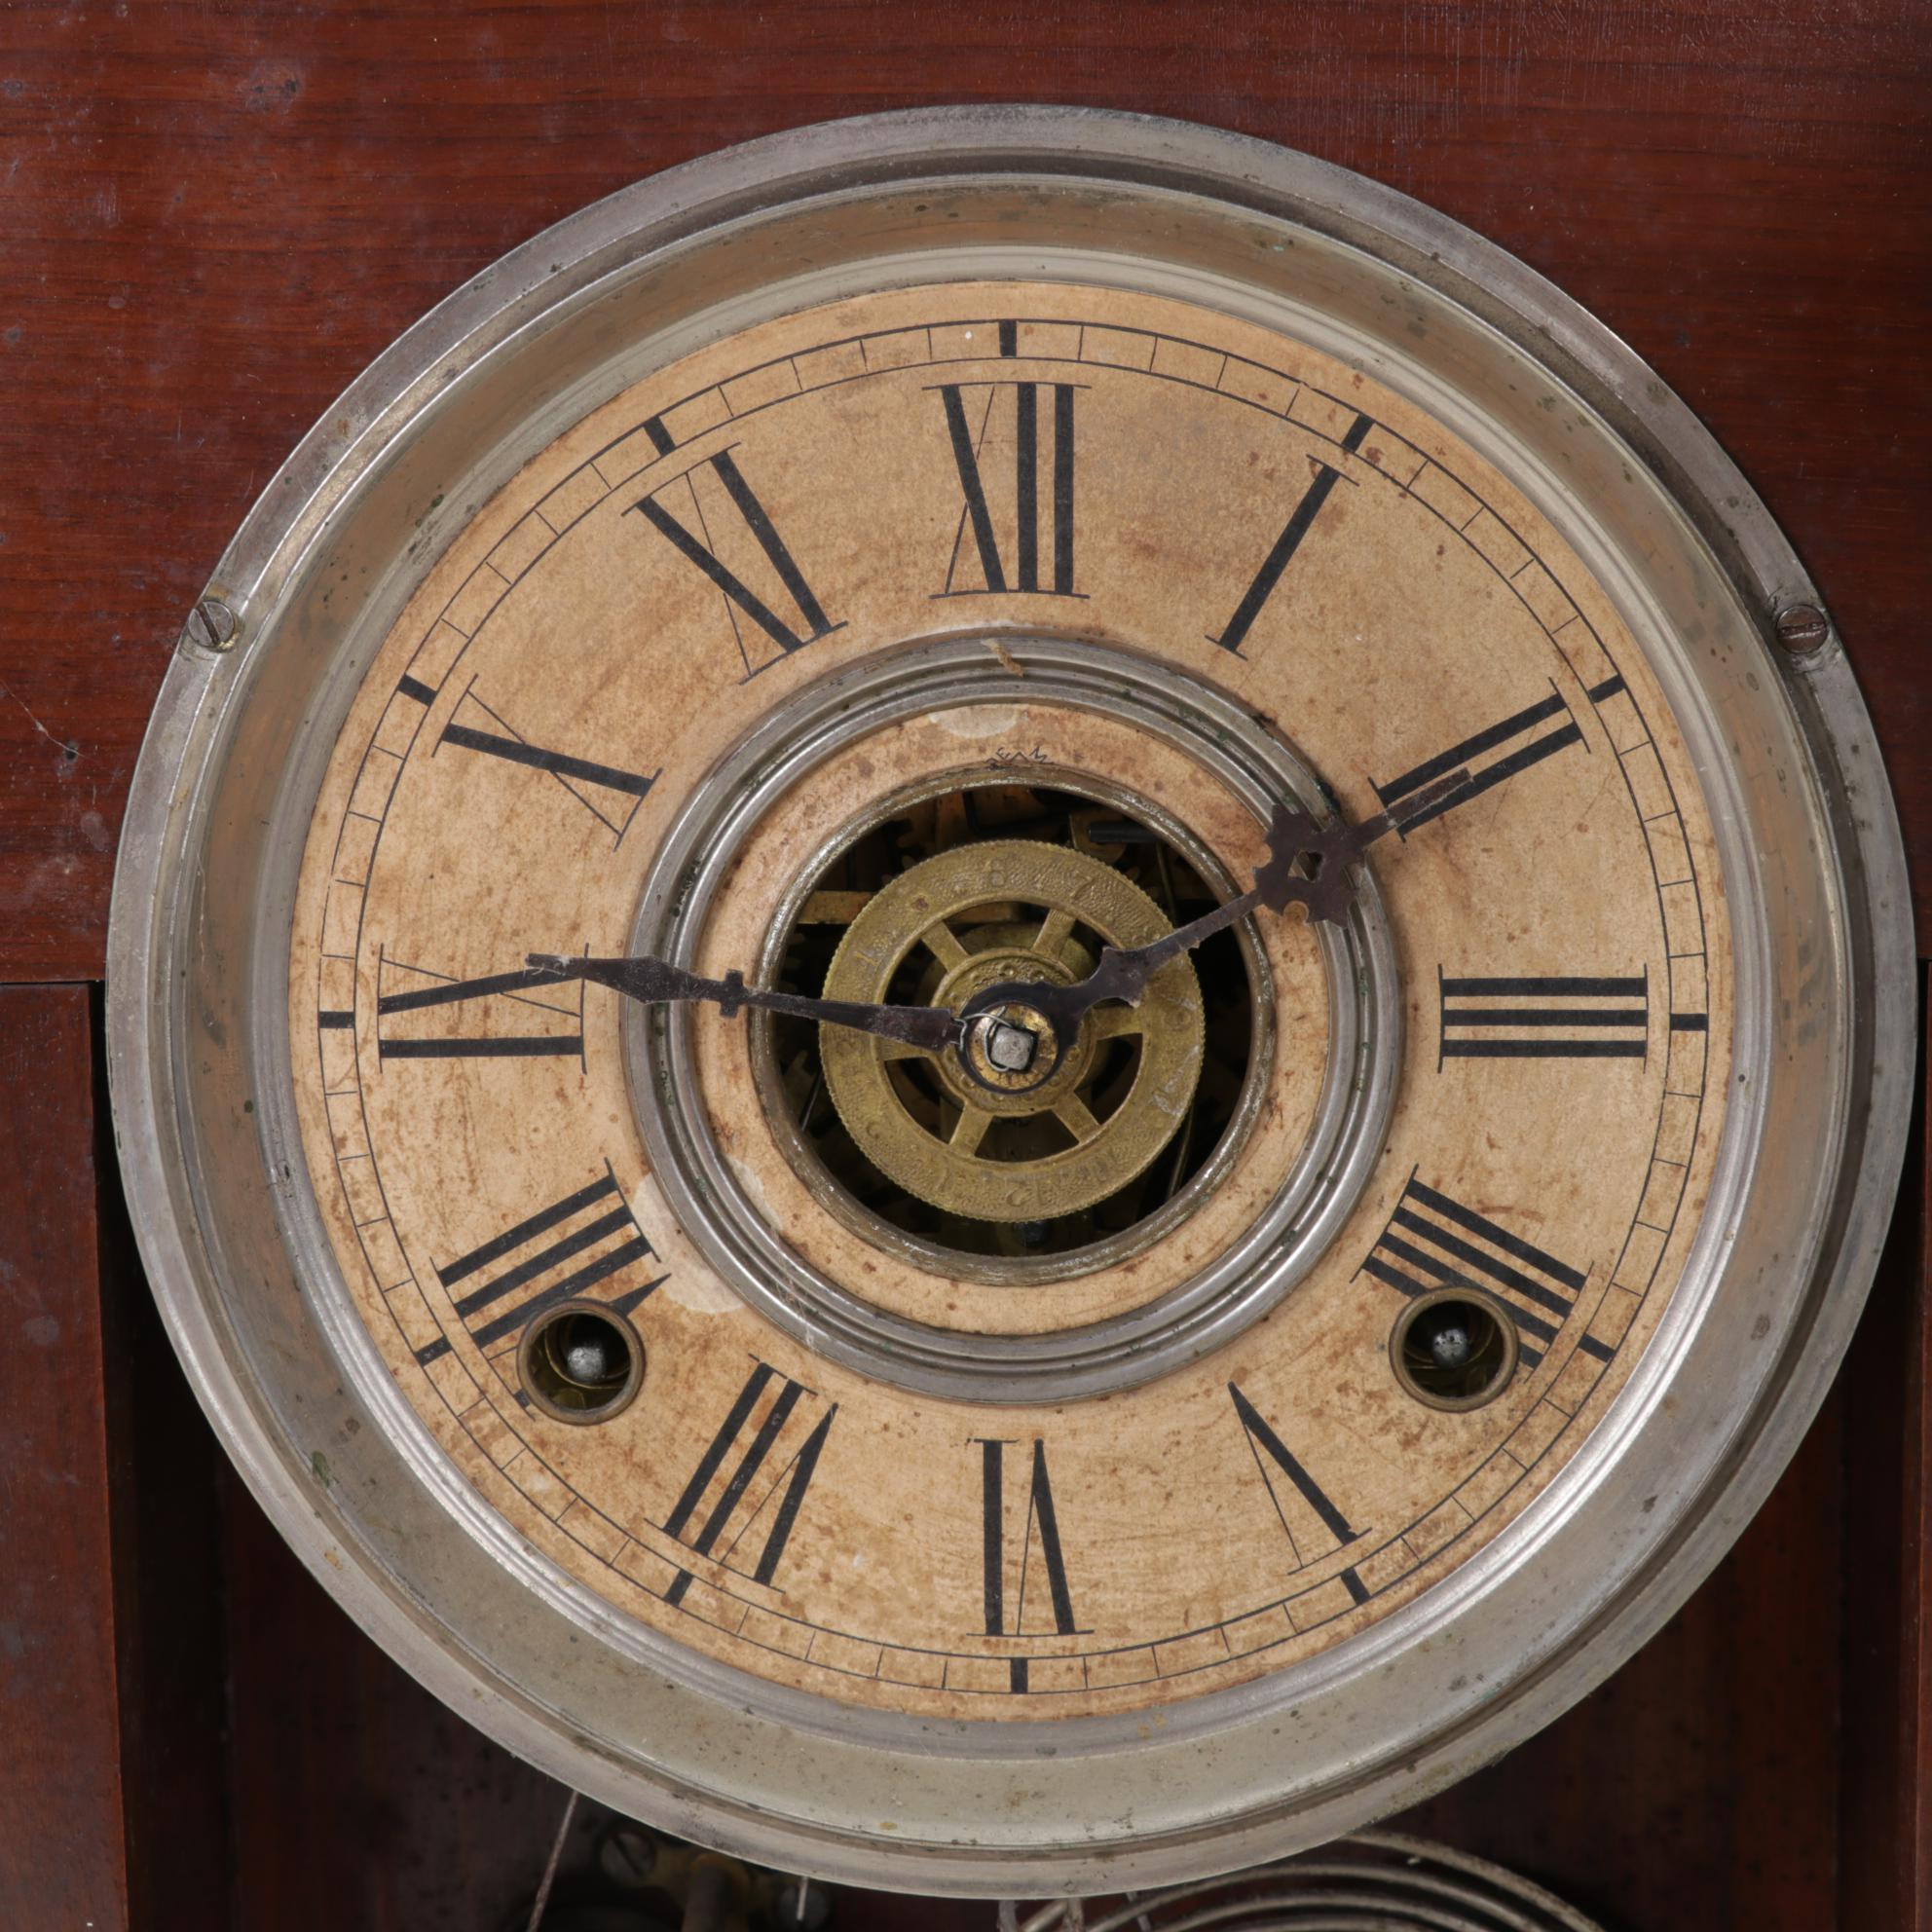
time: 9:10
